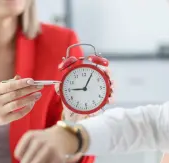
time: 9:04
